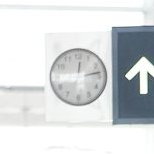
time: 12:13
